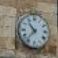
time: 10:36
